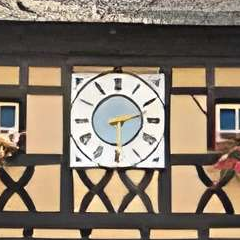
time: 2:29
